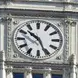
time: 10:26
